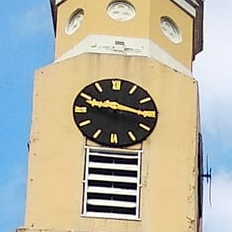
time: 9:16
